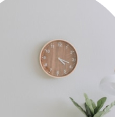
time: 4:18
